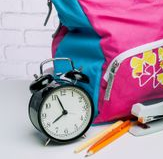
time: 7:56
